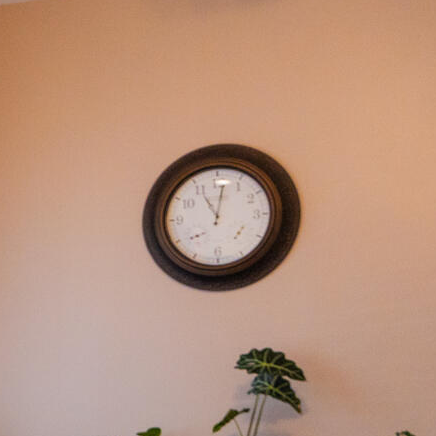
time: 11:01
